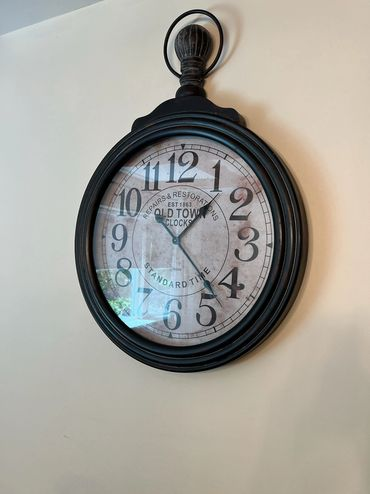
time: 1:22
